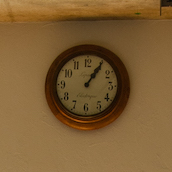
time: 1:05
